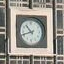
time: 10:42
